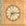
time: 7:13
